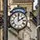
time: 2:00
